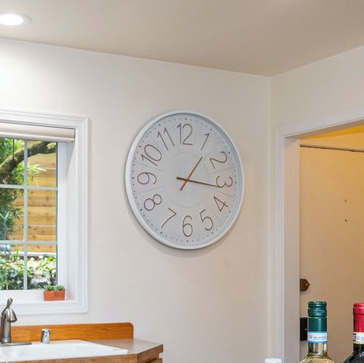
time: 1:16
